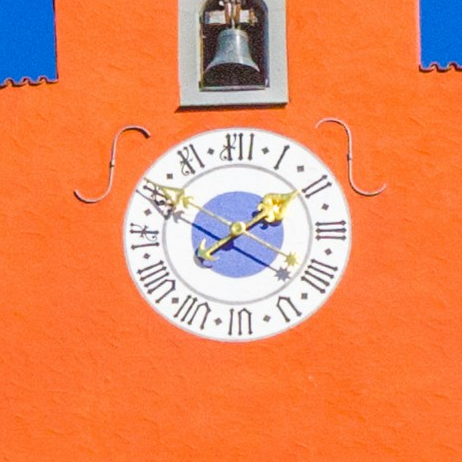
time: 1:50
